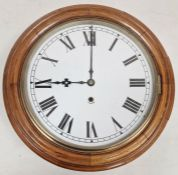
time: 9:00
